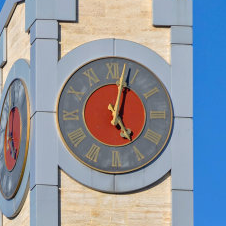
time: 5:03
